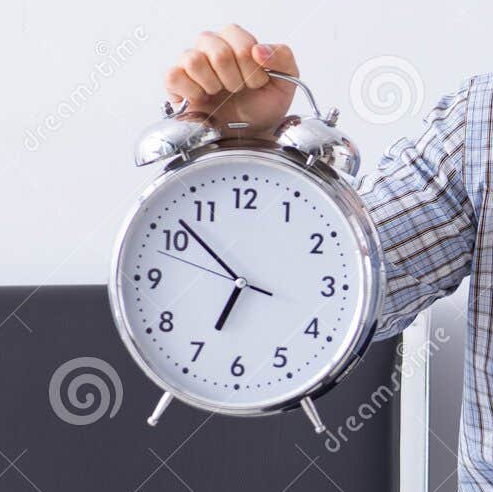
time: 6:52
